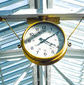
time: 4:09
